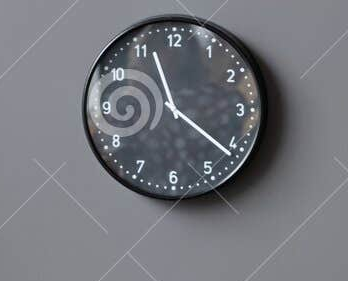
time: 11:21
